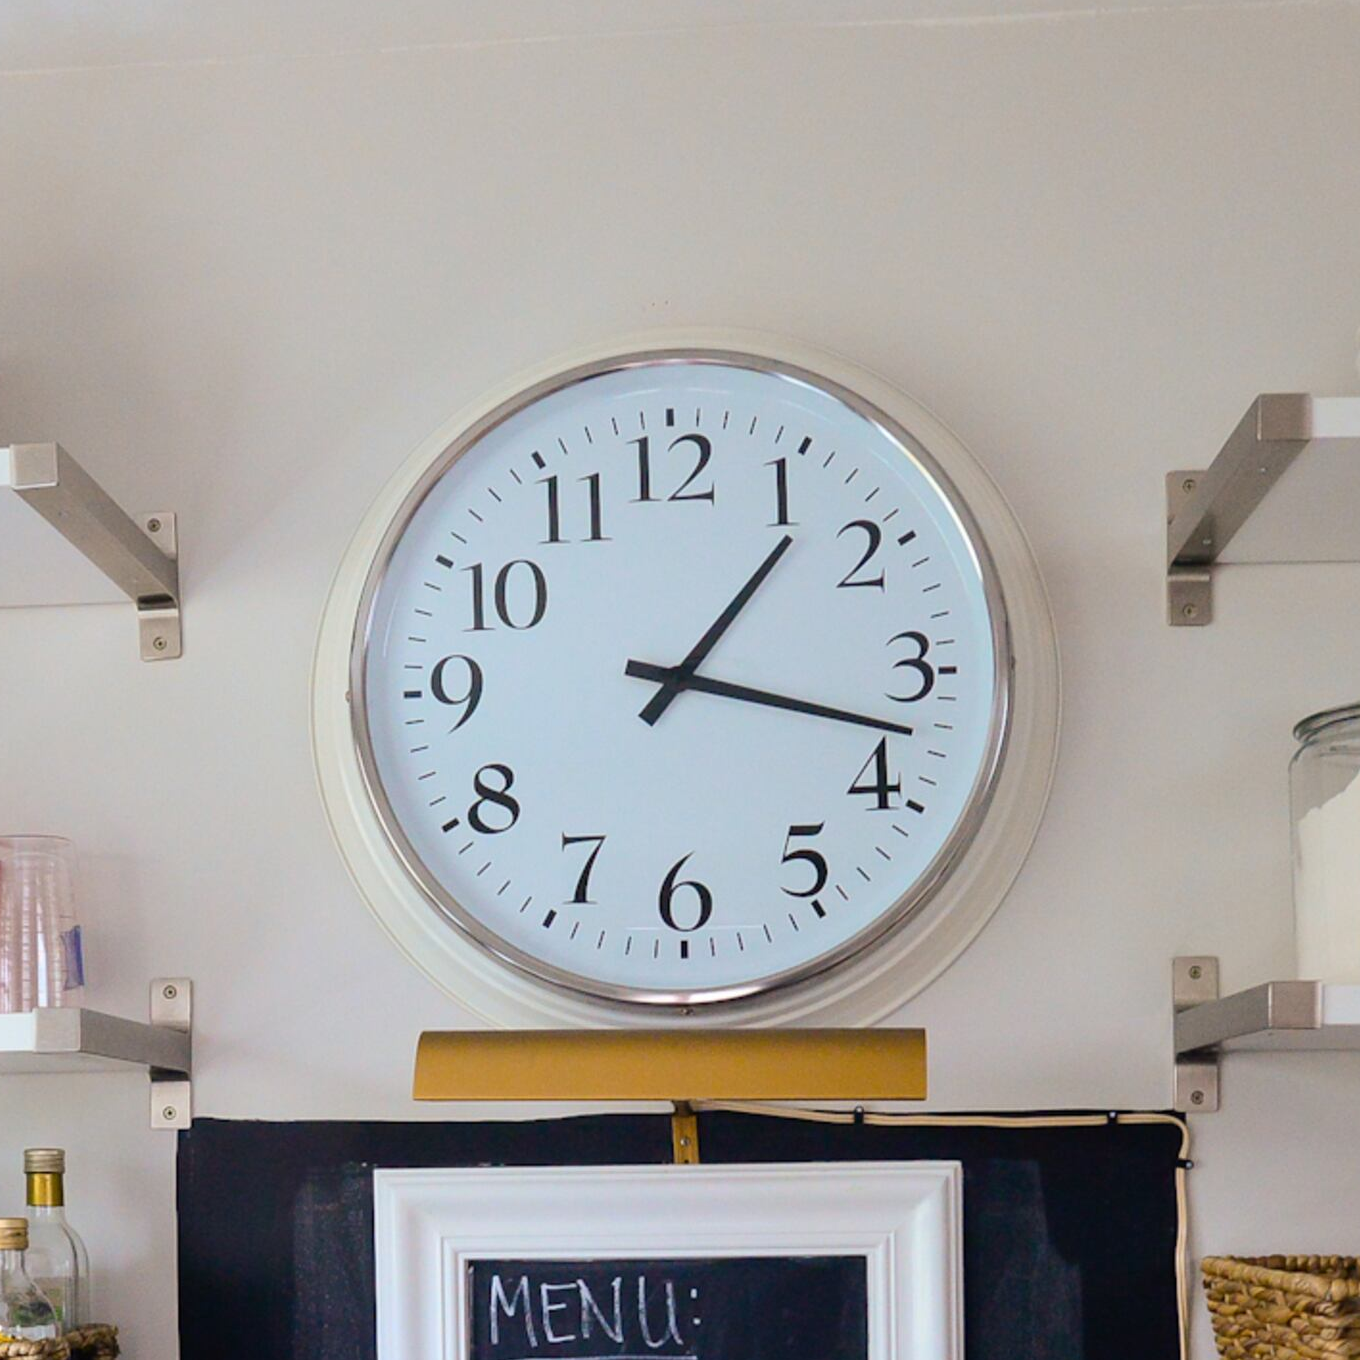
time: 1:17
